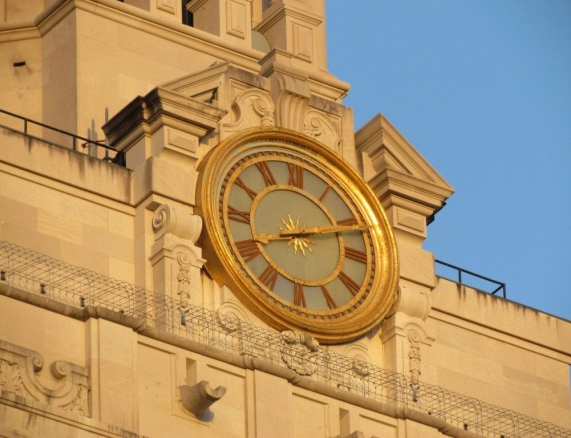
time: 8:12
